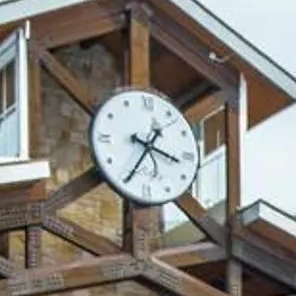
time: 3:35
